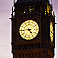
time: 4:44
